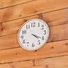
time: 4:20
